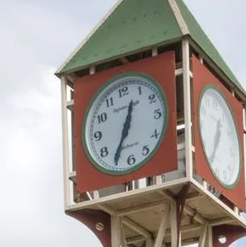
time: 12:35
